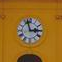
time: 2:57
